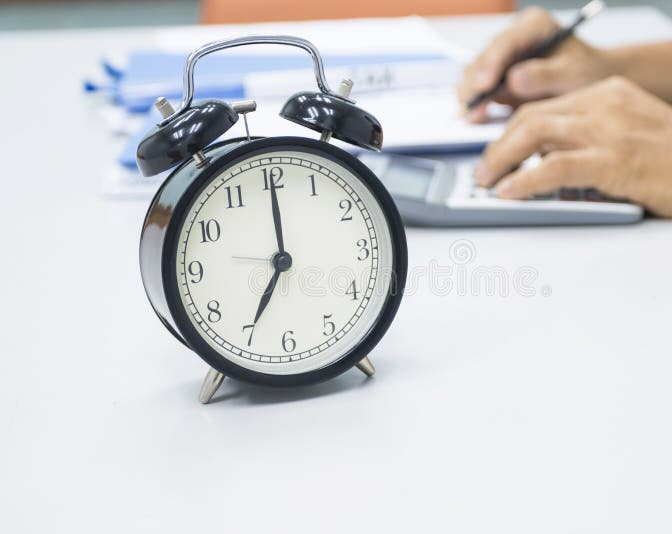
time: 7:00
